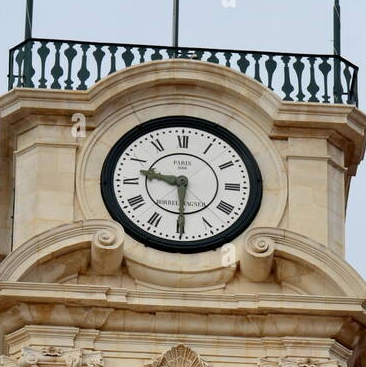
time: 9:29
